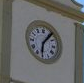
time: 6:06
